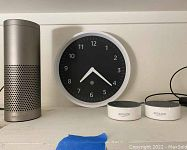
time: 7:21
